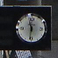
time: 11:31
